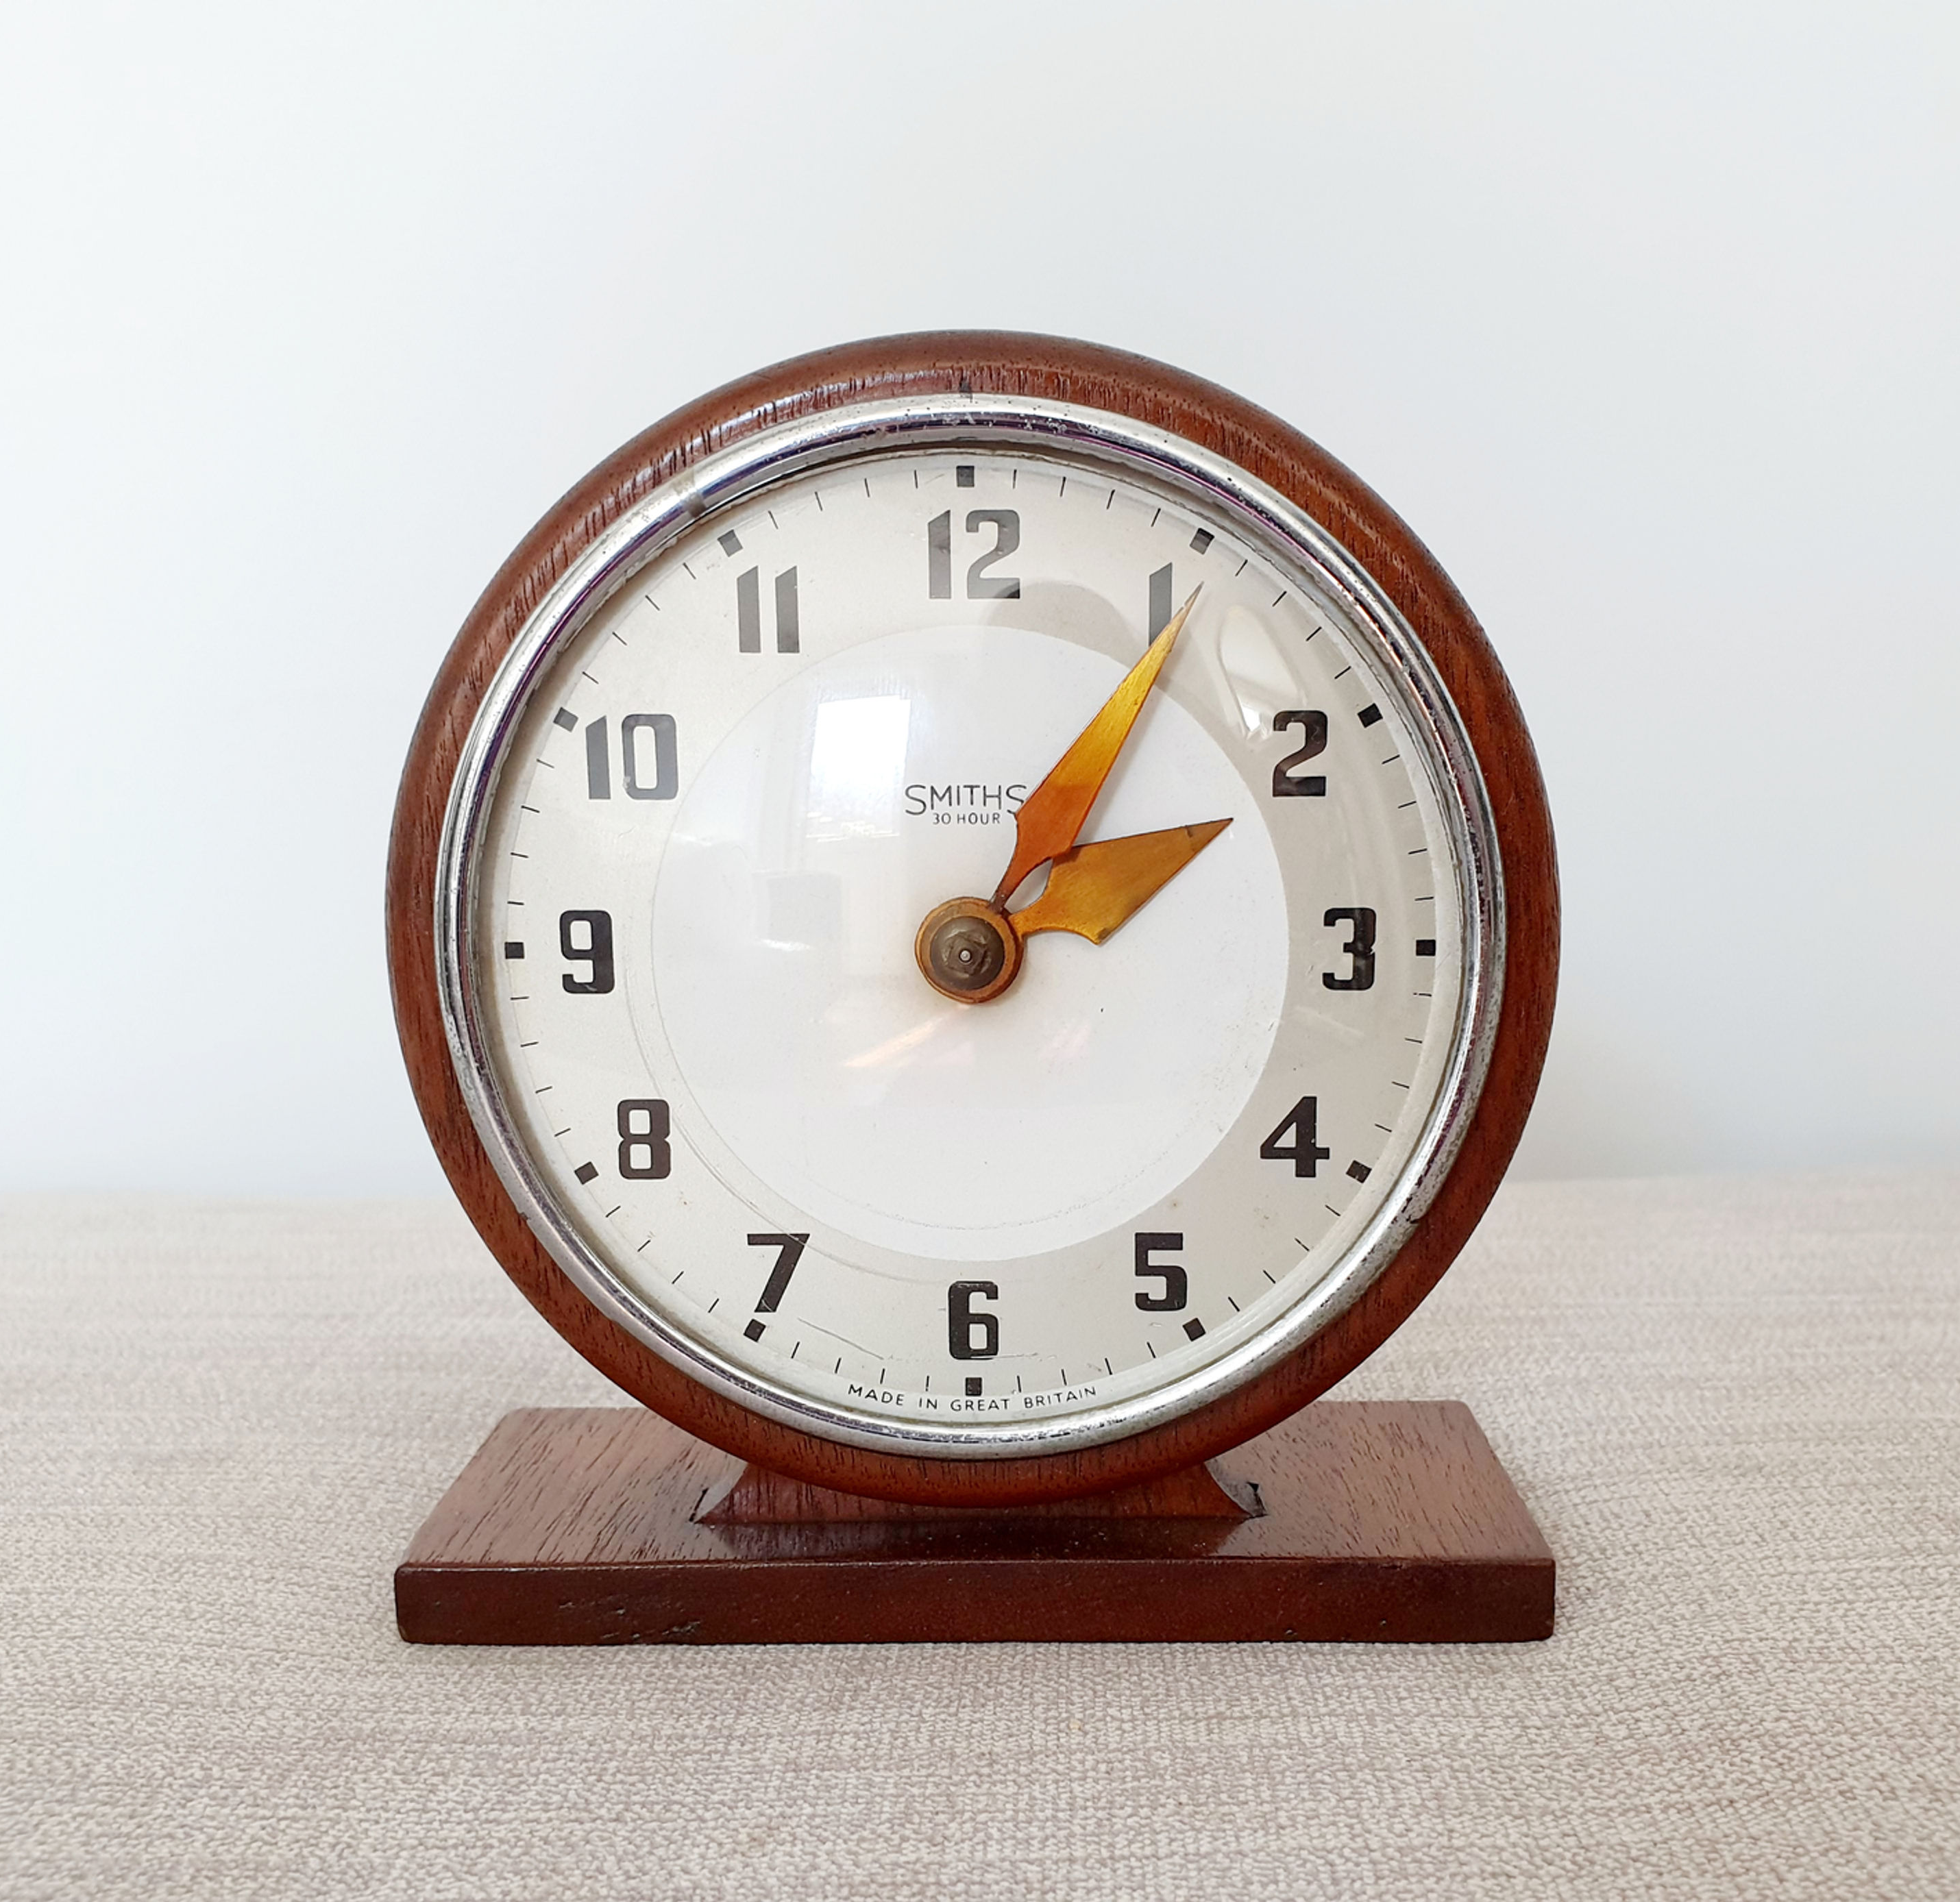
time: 2:05
